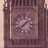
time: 1:37
